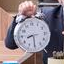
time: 8:30
